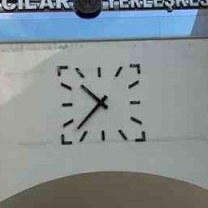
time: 10:37
